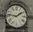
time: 1:46
